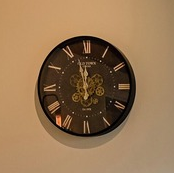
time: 11:57
